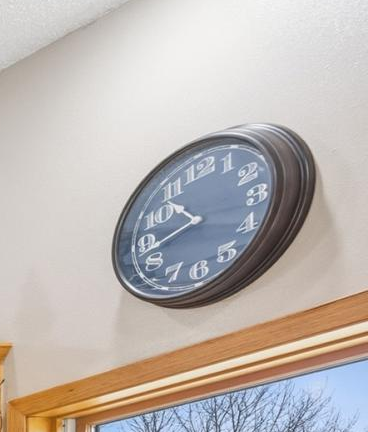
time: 10:42
